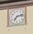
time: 7:12
